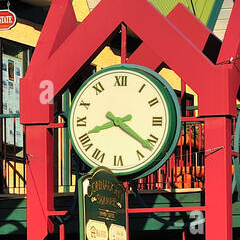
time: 8:21
